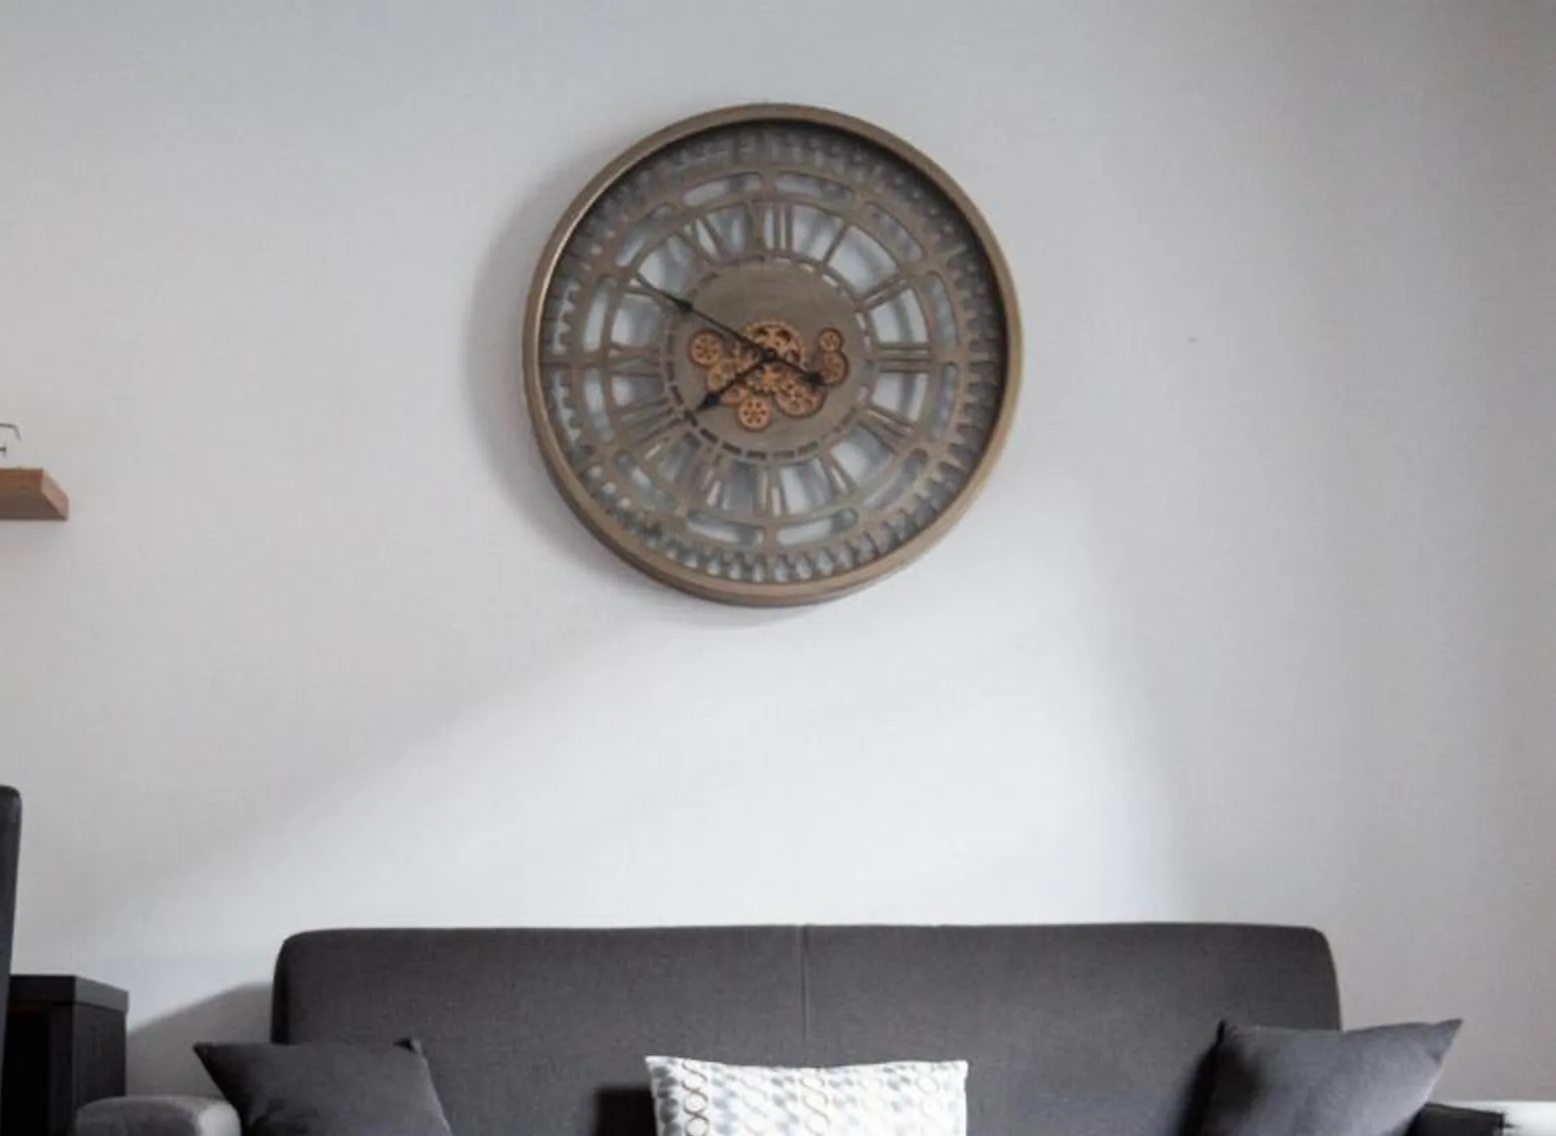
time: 7:49
